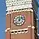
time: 12:07
